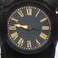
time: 9:15
